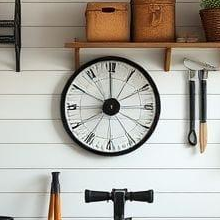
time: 7:59
